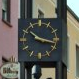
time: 10:17
